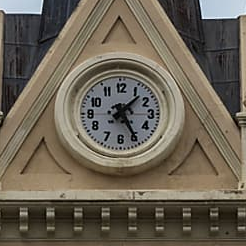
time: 1:25
